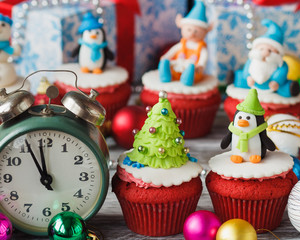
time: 11:55
